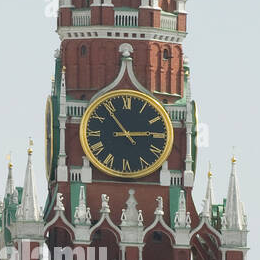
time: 2:53
